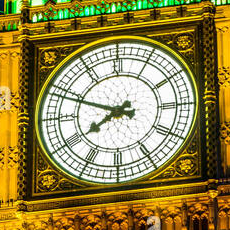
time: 7:48
